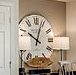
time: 10:03
